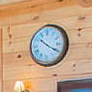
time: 10:20
